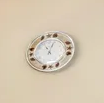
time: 11:03
